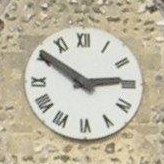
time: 2:50
